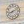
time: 8:11
